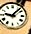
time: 9:07
